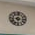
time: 9:01
